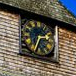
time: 2:34
